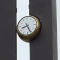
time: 8:25
